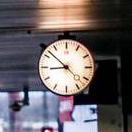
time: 8:52
